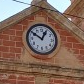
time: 12:50
